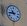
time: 10:45
